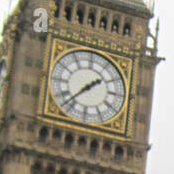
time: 1:37
